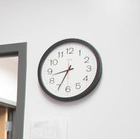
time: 8:34
